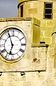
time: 6:56
